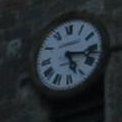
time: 5:17
